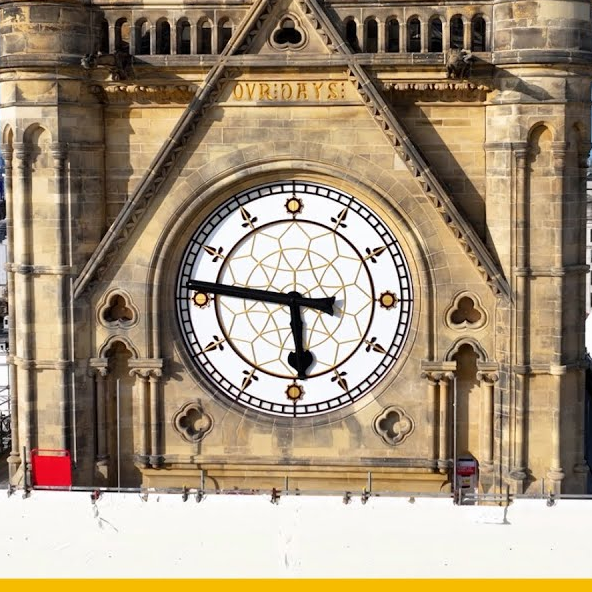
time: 5:46
